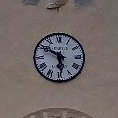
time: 5:50
